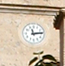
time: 11:13
